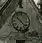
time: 10:22
